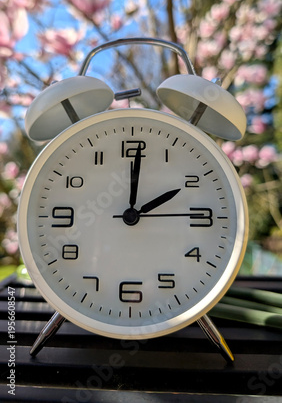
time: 2:00
